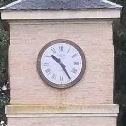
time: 10:24
